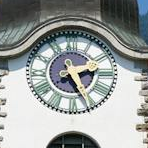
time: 2:25
